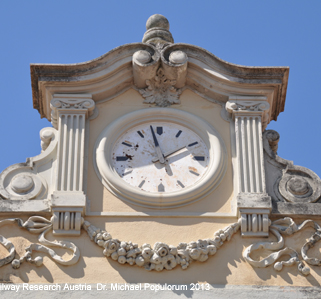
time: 1:57
